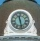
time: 11:28
